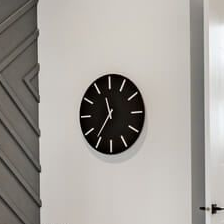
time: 11:36
